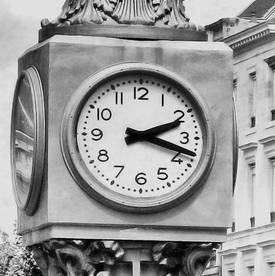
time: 2:17
